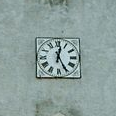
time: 12:25
